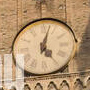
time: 5:02
